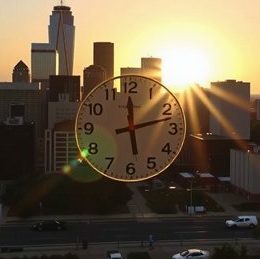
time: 12:12
